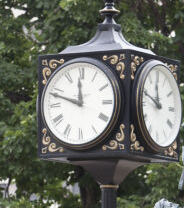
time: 11:48
